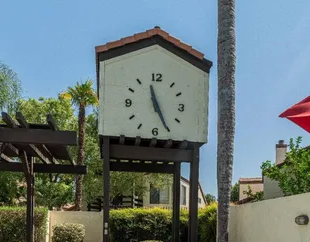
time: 11:25
